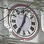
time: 12:35
